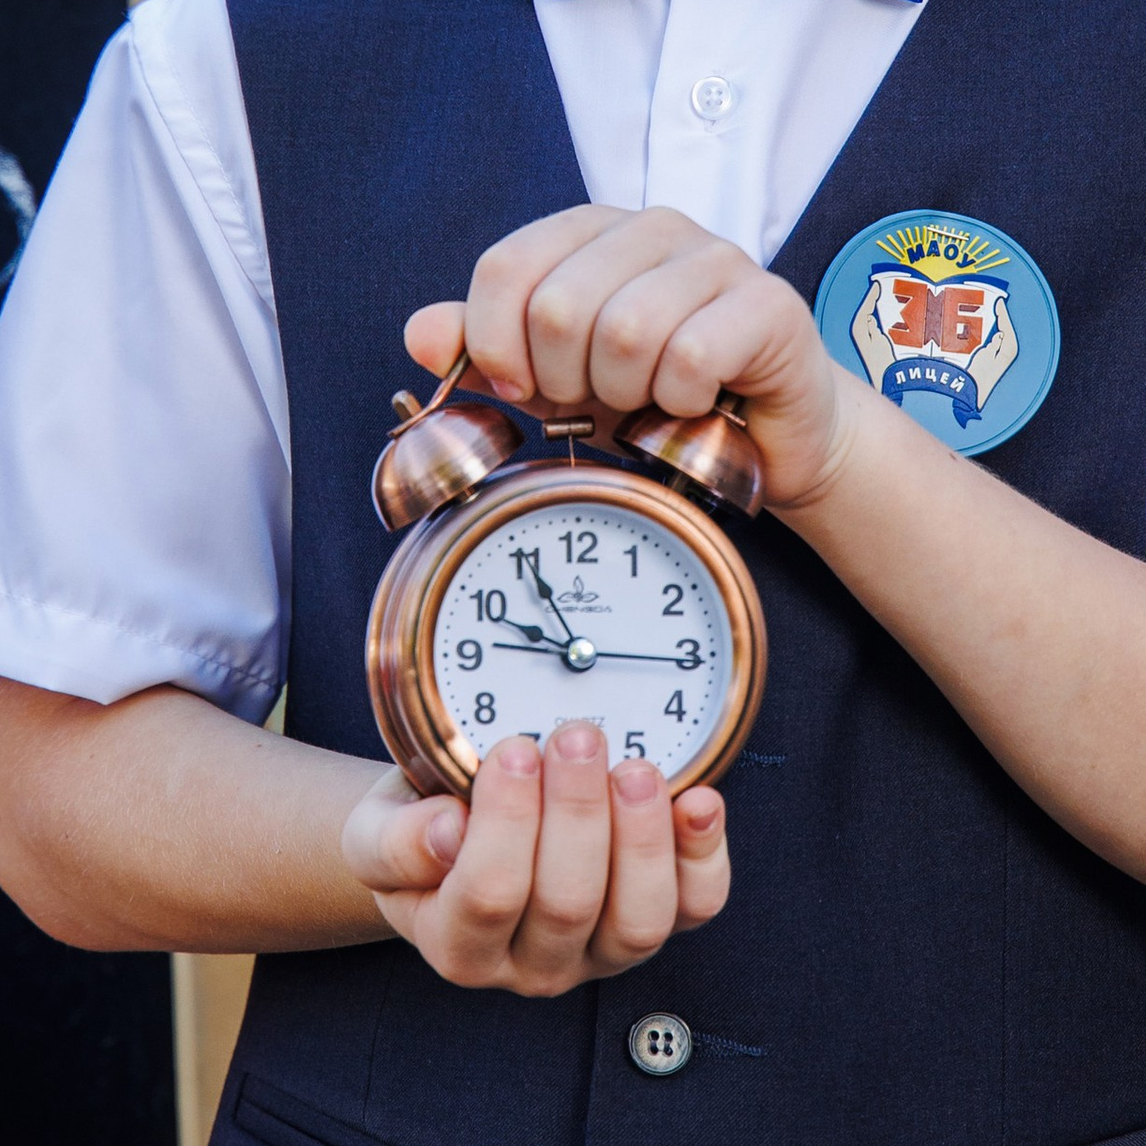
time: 9:55
